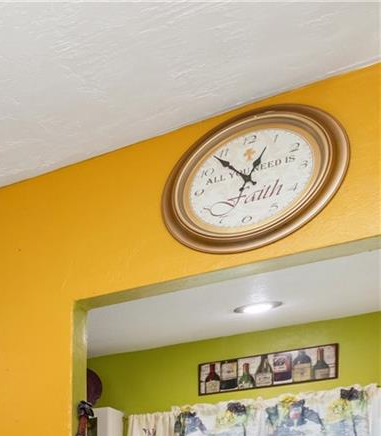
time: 12:53
